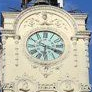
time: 6:18
